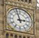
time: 2:57
